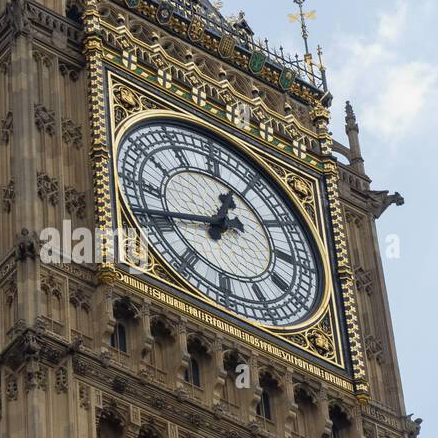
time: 12:41
